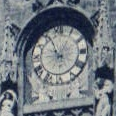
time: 12:56
